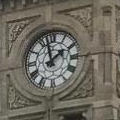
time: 1:57
